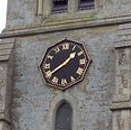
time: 1:39
